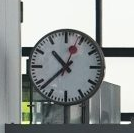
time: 10:38
